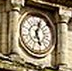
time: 5:03
